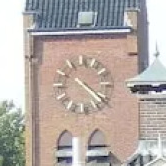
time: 4:21
